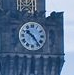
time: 10:23
